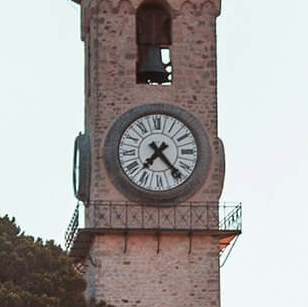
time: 7:23
